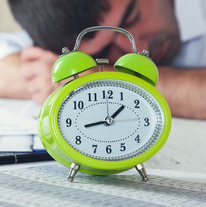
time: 1:42
